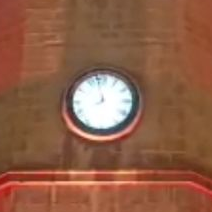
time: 7:58
